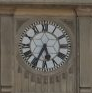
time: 5:34
